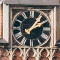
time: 2:06
